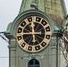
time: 11:43
